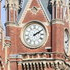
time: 2:09
